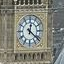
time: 12:21
